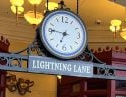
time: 6:46
